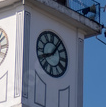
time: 8:06
